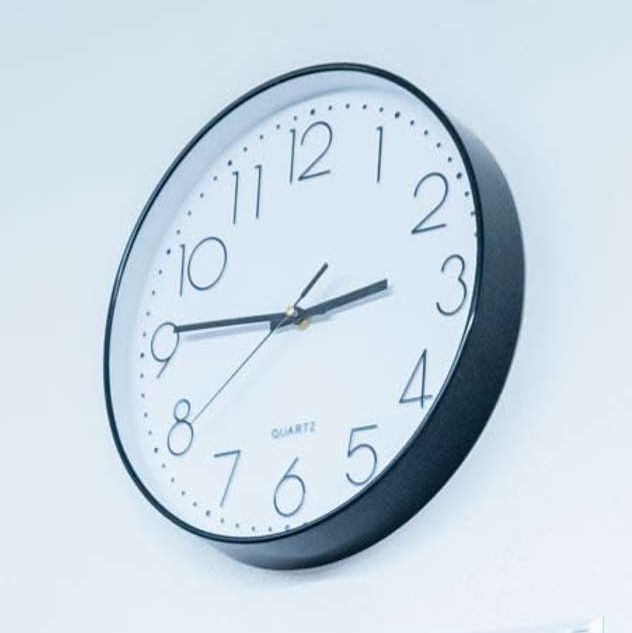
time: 2:45
